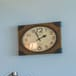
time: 1:56
